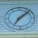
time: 7:08
